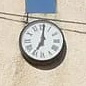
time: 7:00
